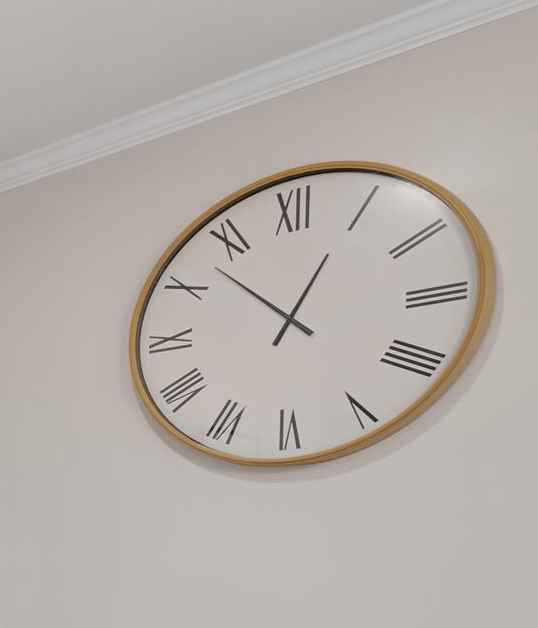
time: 12:52
